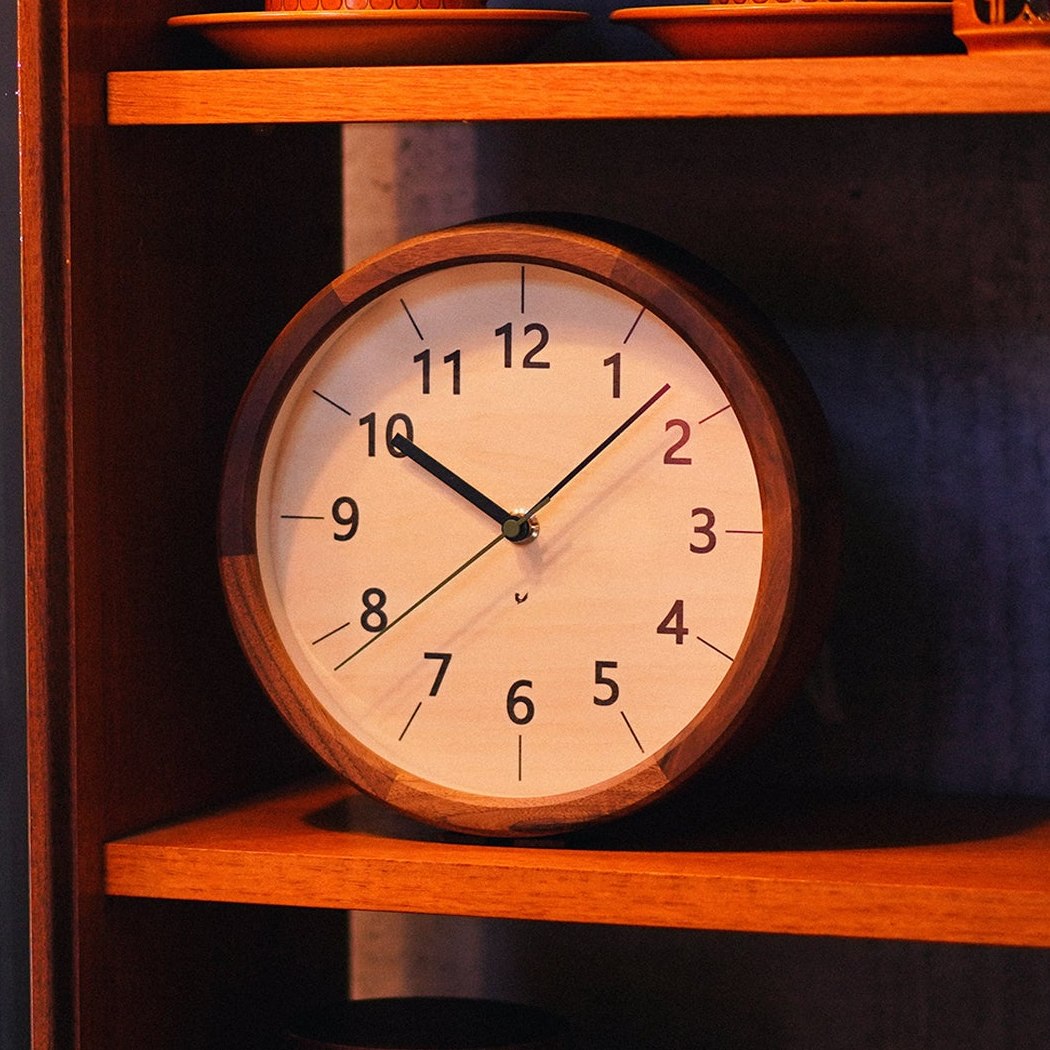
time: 10:07
